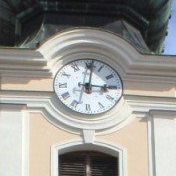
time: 3:01
